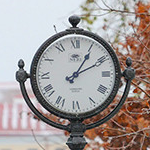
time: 1:10
